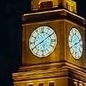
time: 8:09
